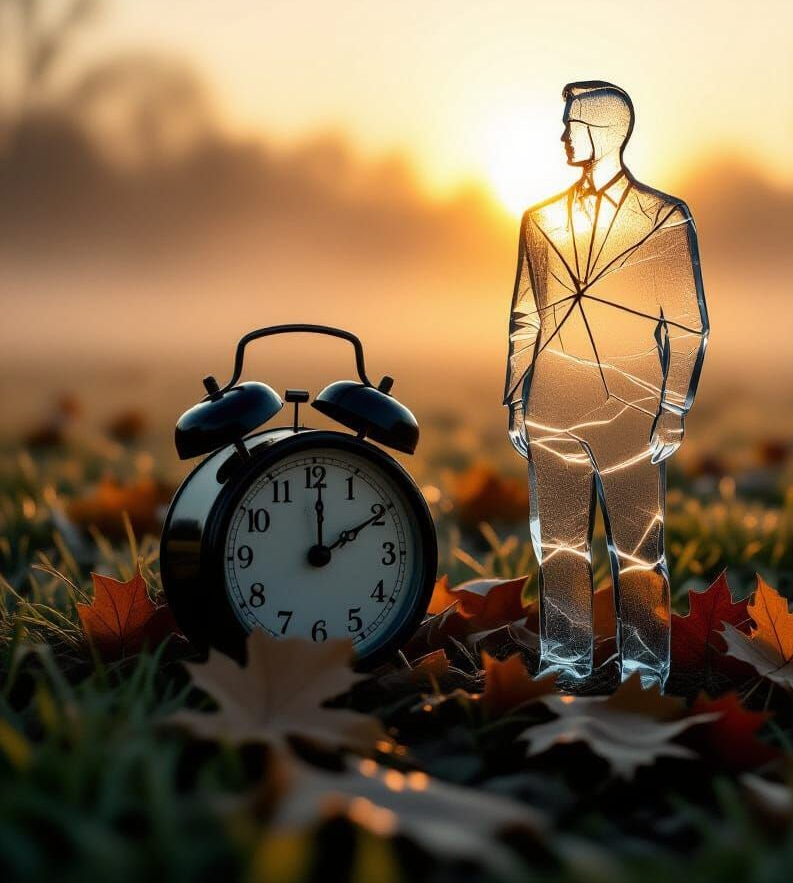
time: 2:00
